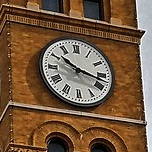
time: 10:17
